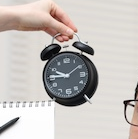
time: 9:45
